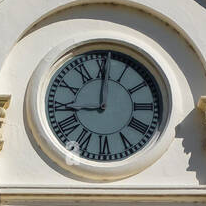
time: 9:00
